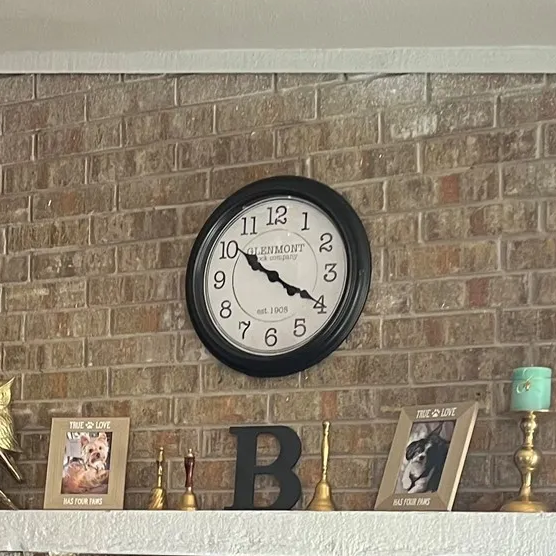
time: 10:19
